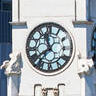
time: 11:37
